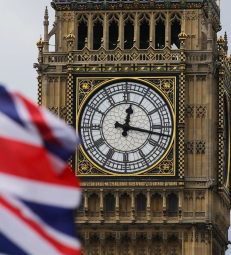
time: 12:17
